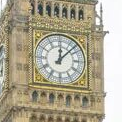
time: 12:07
